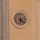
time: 6:21
